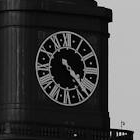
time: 4:22
